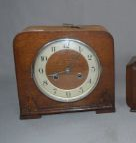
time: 3:42
